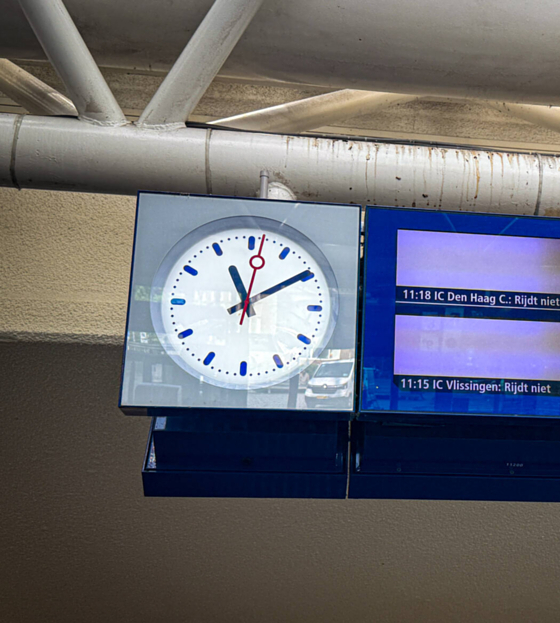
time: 11:09
